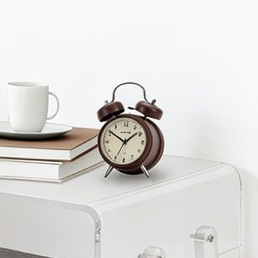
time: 1:50
